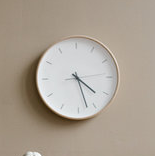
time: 4:27
